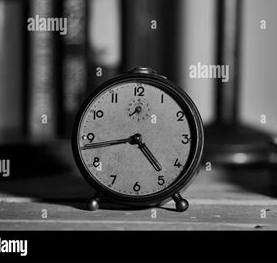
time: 4:43
